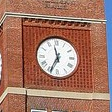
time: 11:34
